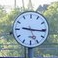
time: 9:15
